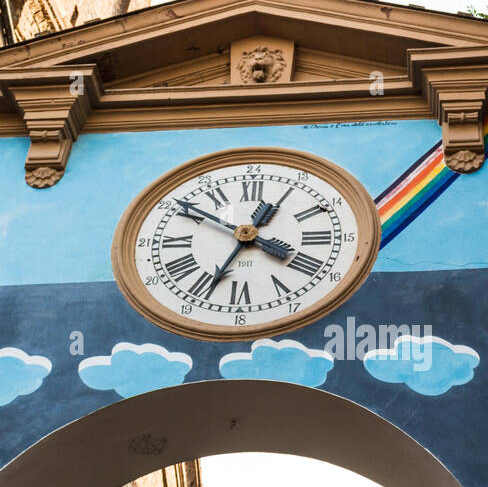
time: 12:34
